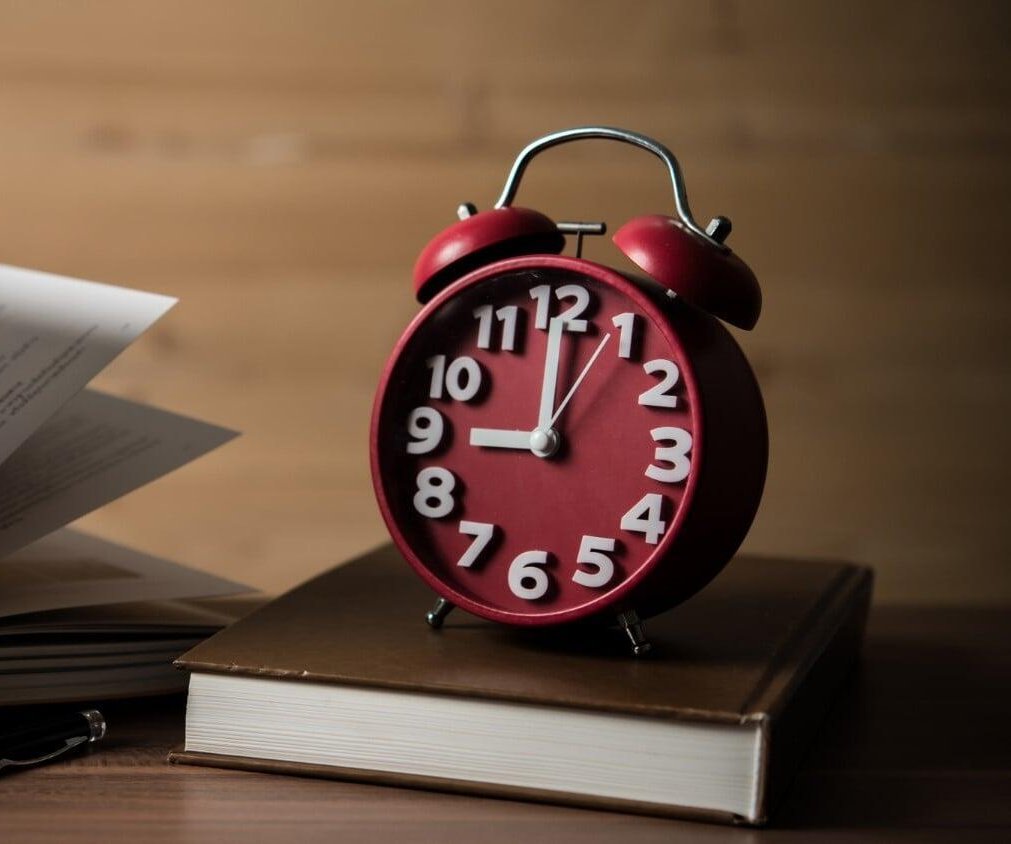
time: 8:59
